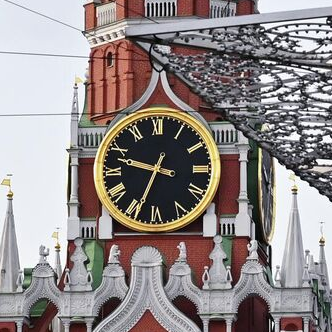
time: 9:33
